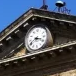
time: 3:40
